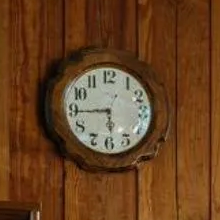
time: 5:44
